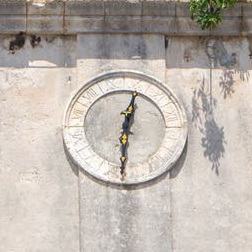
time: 12:30
